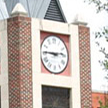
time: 2:45
